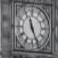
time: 11:25
